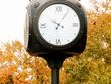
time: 10:05
